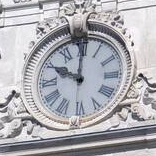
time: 10:00
